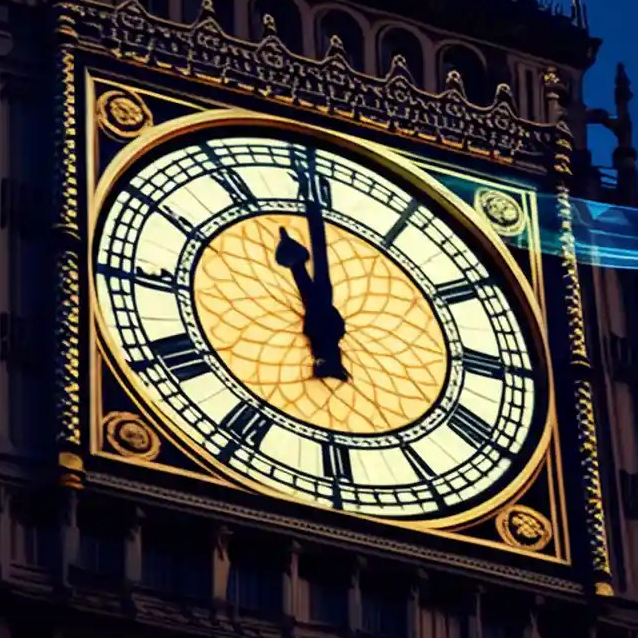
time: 10:59
